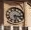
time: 5:15
